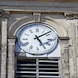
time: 5:08
